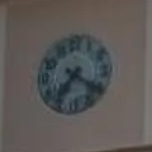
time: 7:20
